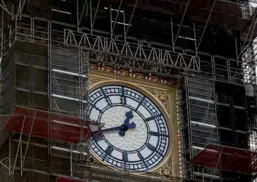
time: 12:42
